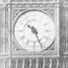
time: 10:26
